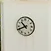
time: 10:41
